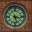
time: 3:27
